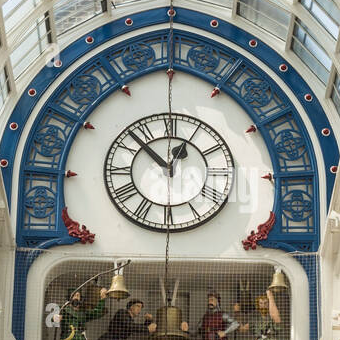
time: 12:52
